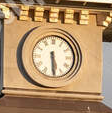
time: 5:29
